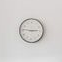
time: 2:46
